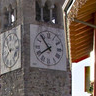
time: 7:53
